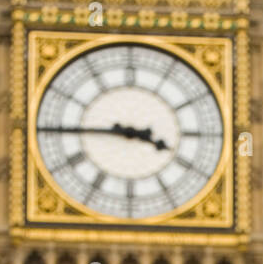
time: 3:44
